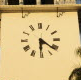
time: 6:21
